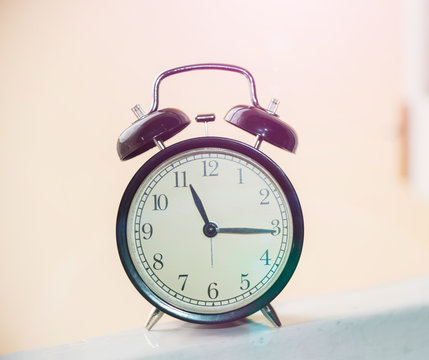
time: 11:15
